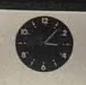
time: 3:06
